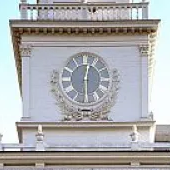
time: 12:29
